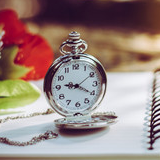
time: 9:20
